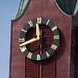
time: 11:41
